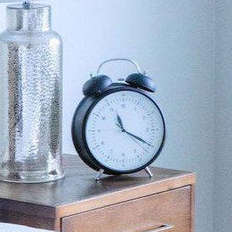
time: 11:19
